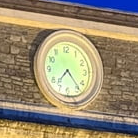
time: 7:23
